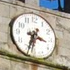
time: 3:32
